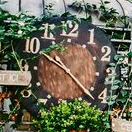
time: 10:22
